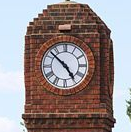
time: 4:52
